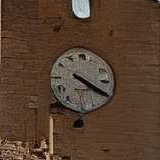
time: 4:19
